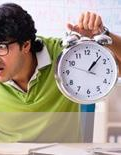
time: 1:06
